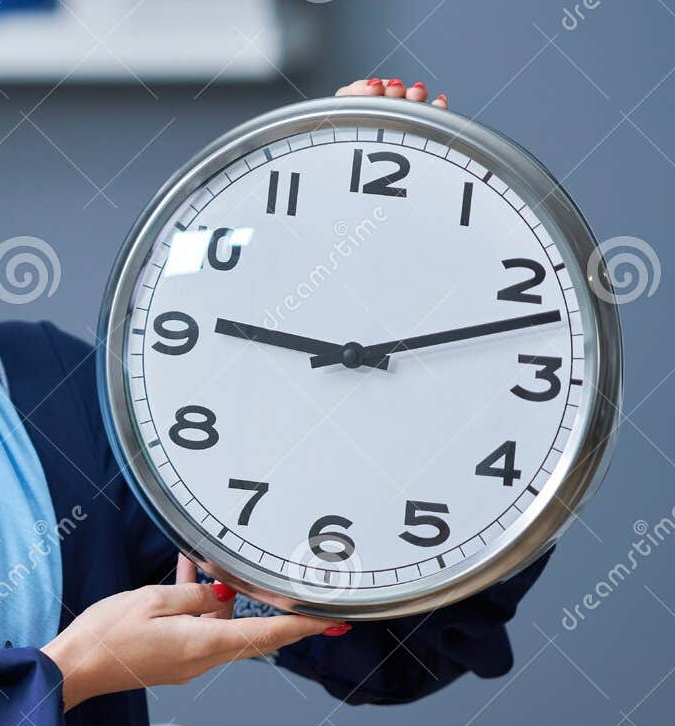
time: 9:12
